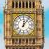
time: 12:06
